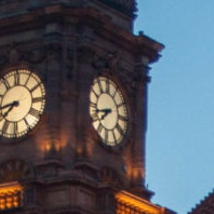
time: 7:42
